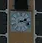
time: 2:18
